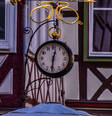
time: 12:30
